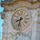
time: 8:32
